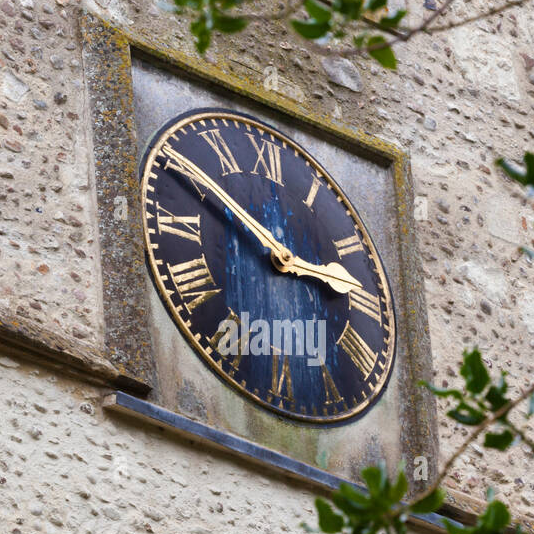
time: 2:50
